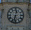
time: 12:32
